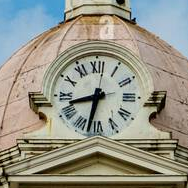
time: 8:32
